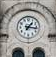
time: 1:16
